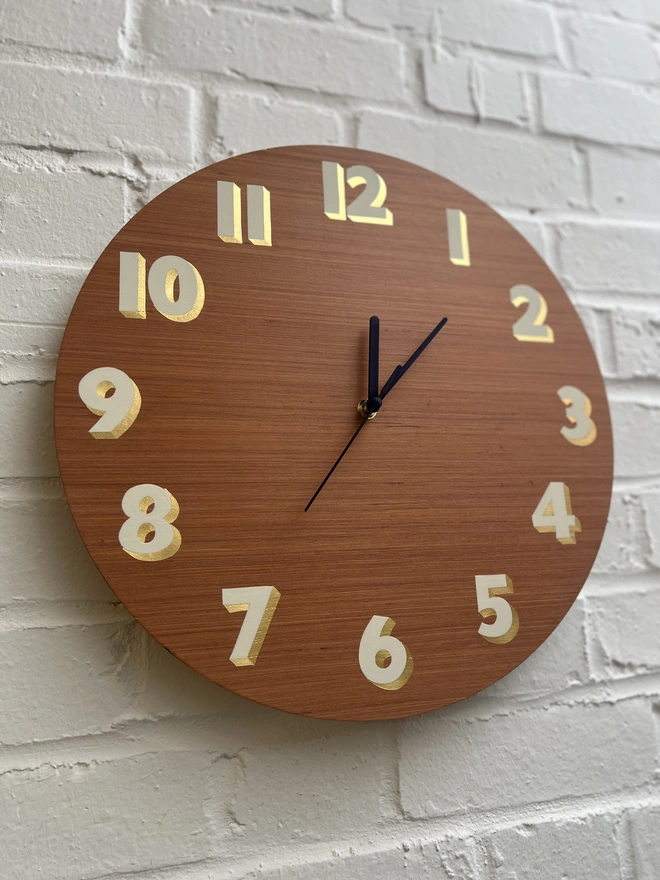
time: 12:07
